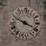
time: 3:48
